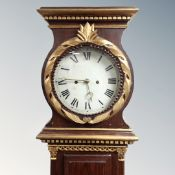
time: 5:45
